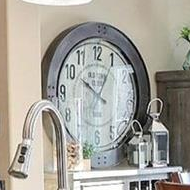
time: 10:04
